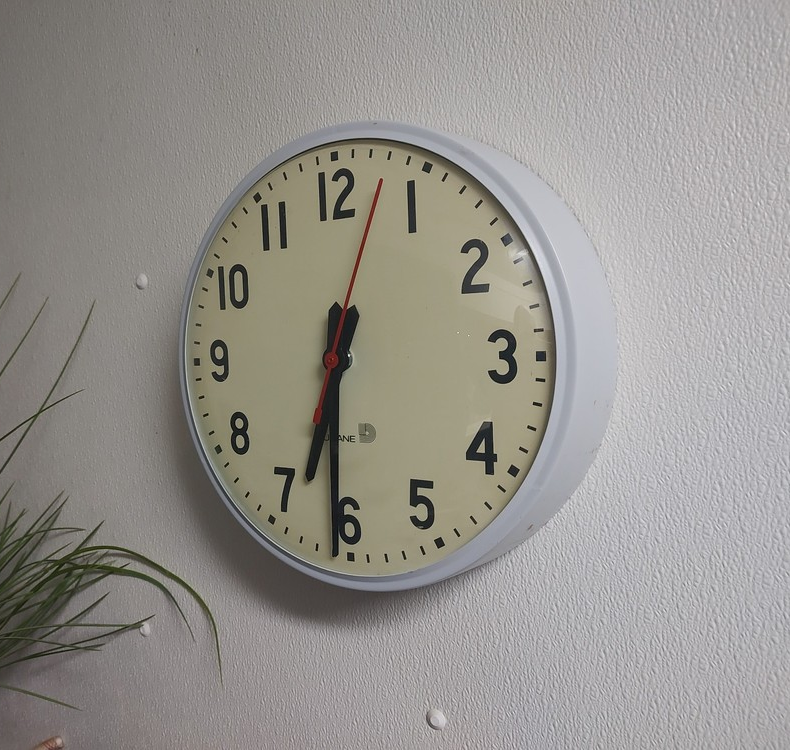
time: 6:30
